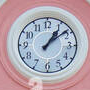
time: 1:08
